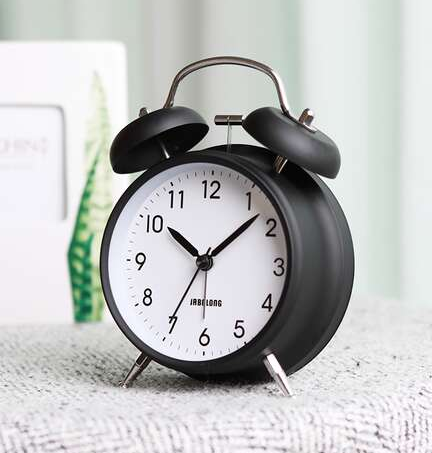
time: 10:07
